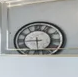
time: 5:44
